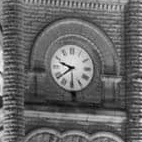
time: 9:39
